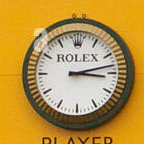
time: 3:12
